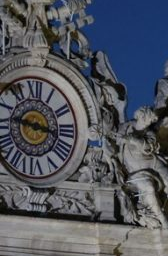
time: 9:17
